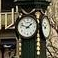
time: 1:47
